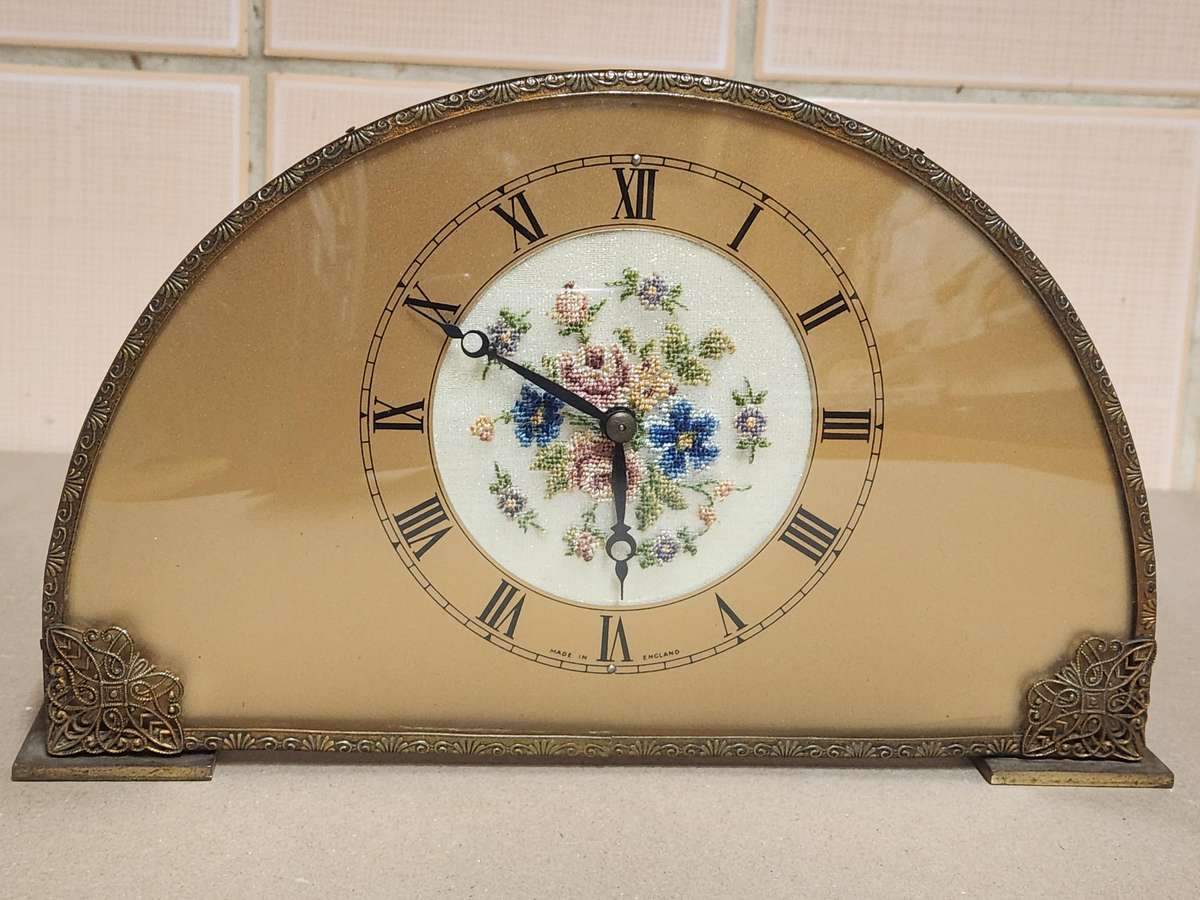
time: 5:49
